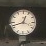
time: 12:41
